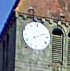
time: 2:11
